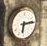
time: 6:14
